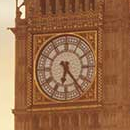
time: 6:23
